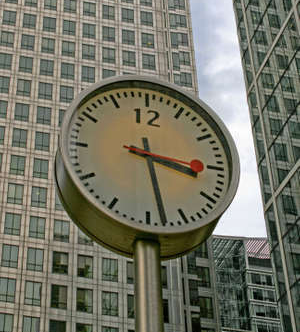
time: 3:28
